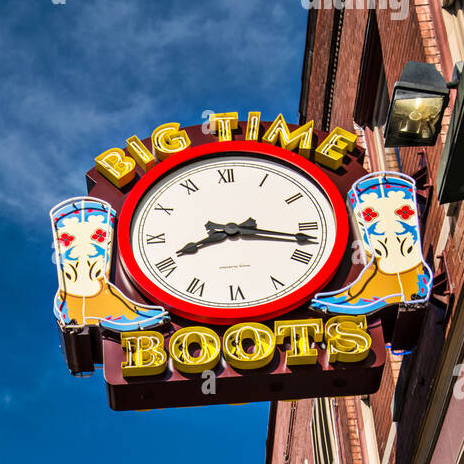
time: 8:17
